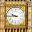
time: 9:44
